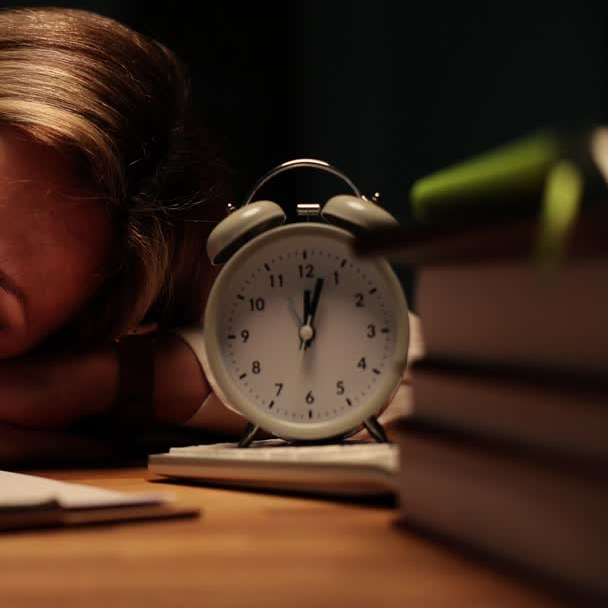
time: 12:03
